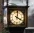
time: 4:01
